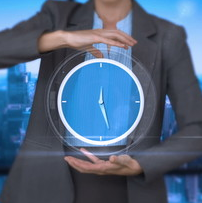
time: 5:26
